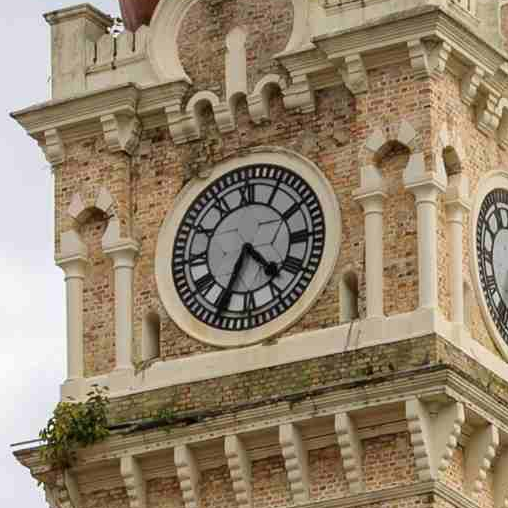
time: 4:34
